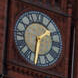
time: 1:31
